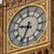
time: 9:34
